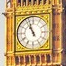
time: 10:56
